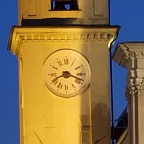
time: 8:18
